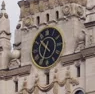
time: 10:34
